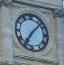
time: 7:07
